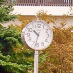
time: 10:32
